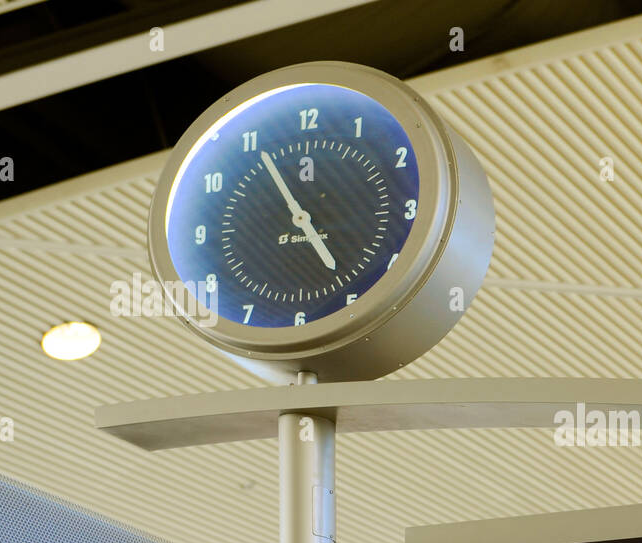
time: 4:55
